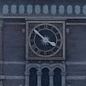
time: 3:52
